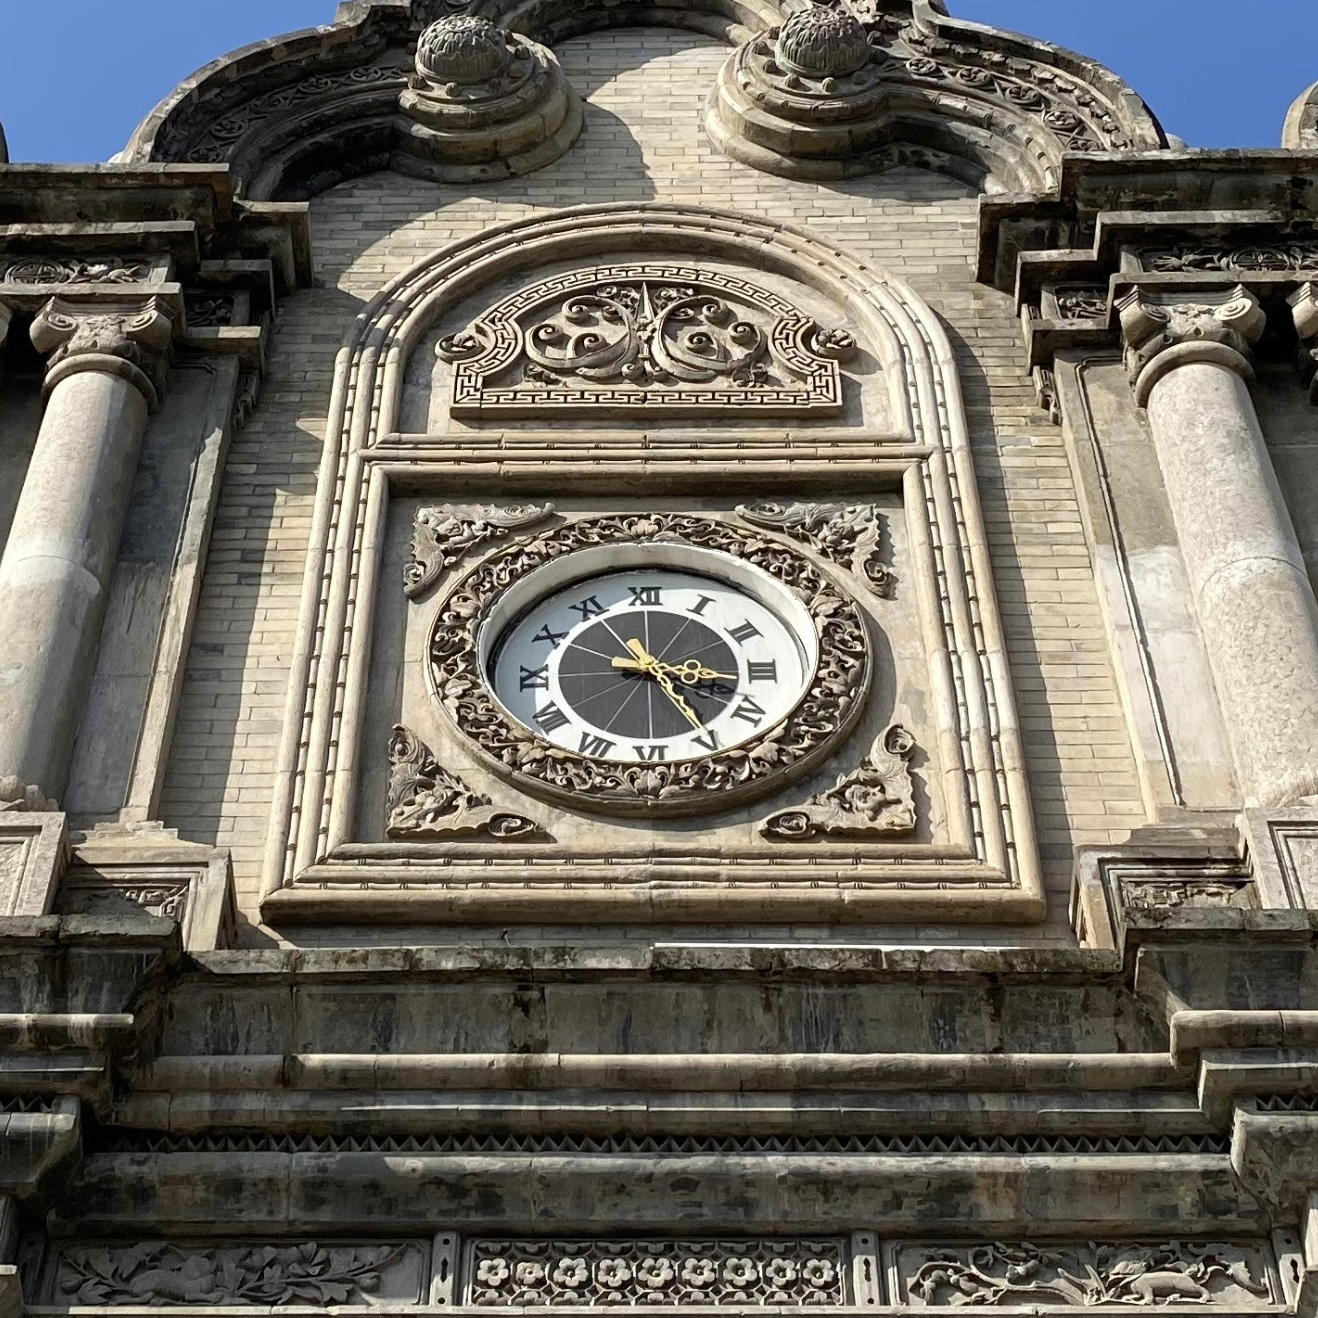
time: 3:24
